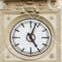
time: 5:03
